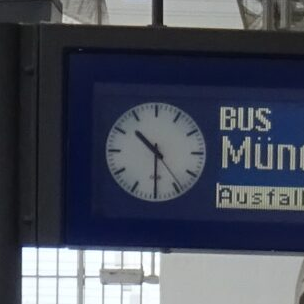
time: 10:30
